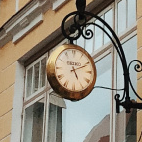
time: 5:11
